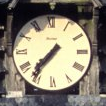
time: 7:36
